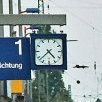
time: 4:38
